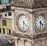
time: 4:31
